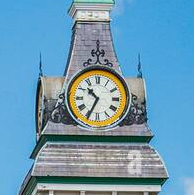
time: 10:34
